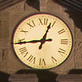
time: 12:44
